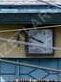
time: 9:50
